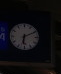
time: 6:10
